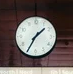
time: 1:34
